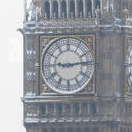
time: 9:13
